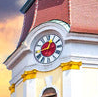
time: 12:43
